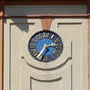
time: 2:35
